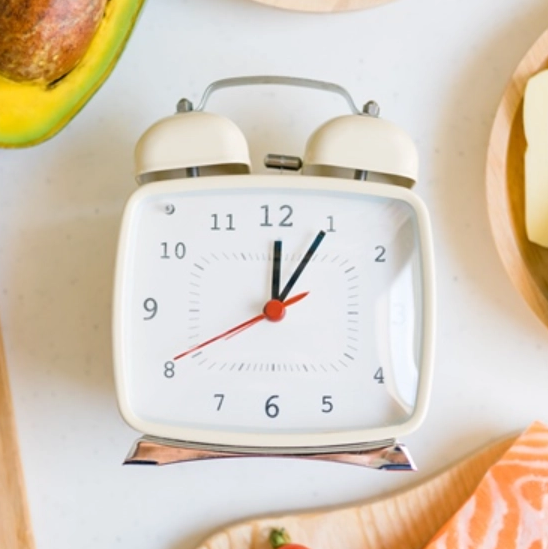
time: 12:05
